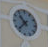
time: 10:37
